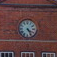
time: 4:24
